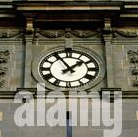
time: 1:54
